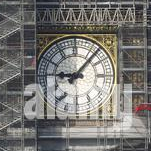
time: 9:07
